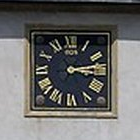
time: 3:12
